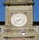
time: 7:38
